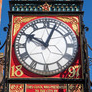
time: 10:03
